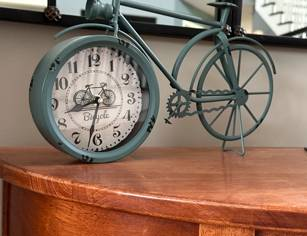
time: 8:32
